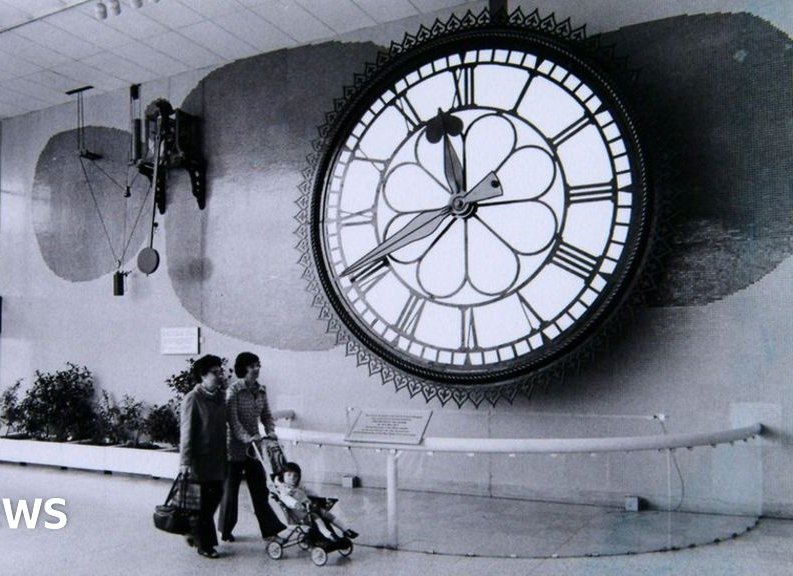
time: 11:40
